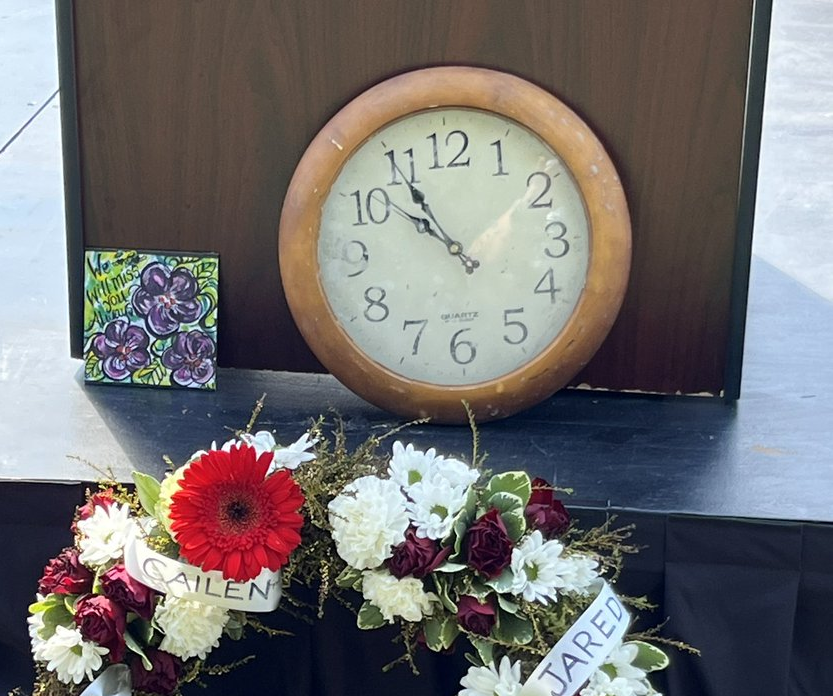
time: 10:55
